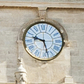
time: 9:27
